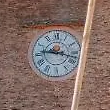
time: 9:17
